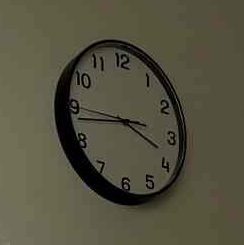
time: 3:43
